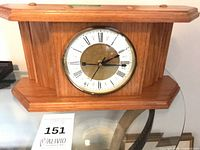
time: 2:15
